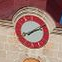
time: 8:11
